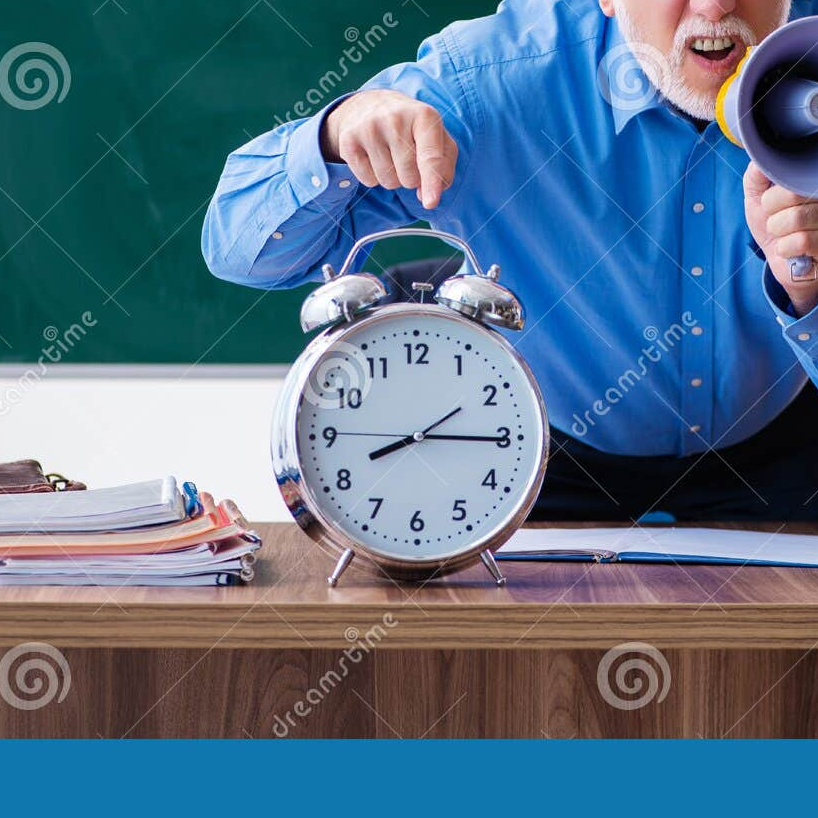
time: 8:15
